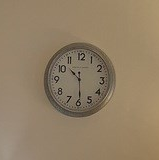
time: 10:29
